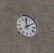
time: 1:59
